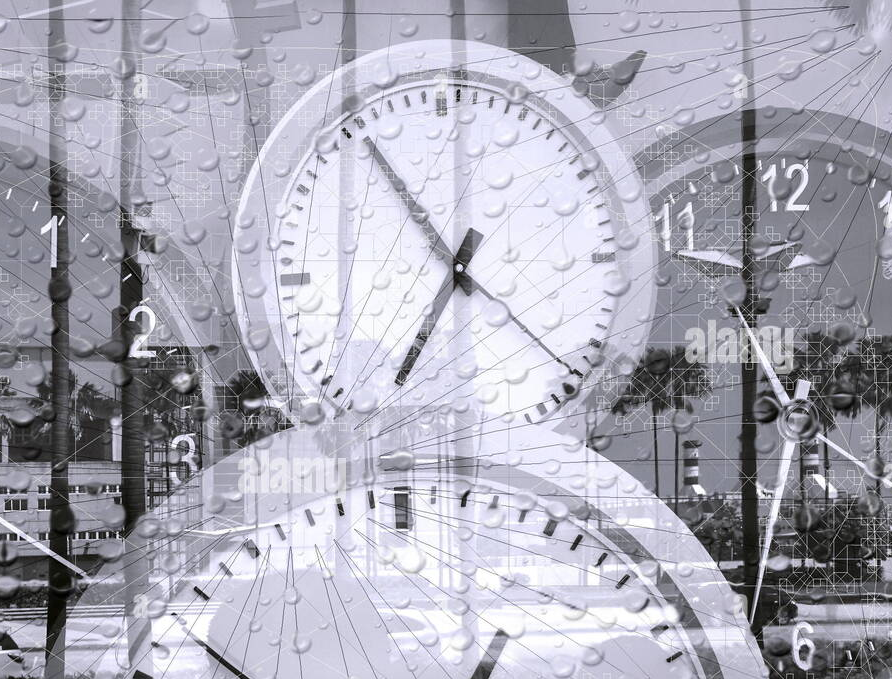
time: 6:54
